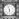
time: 5:57
